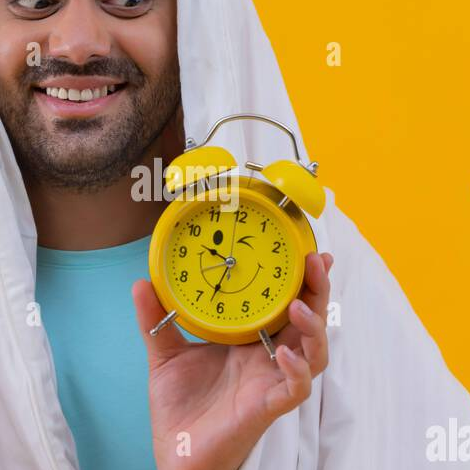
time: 9:32
